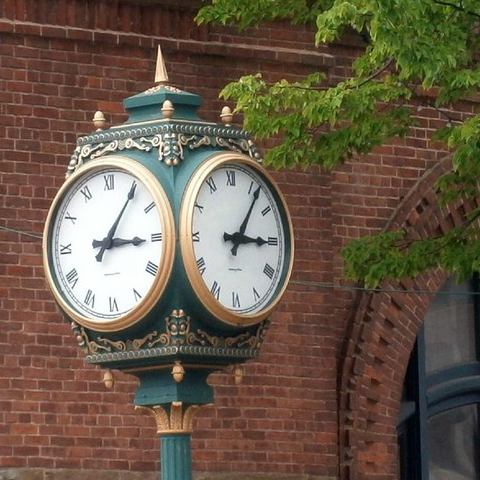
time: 3:06
